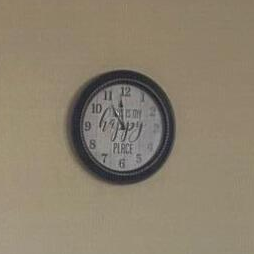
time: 10:58
